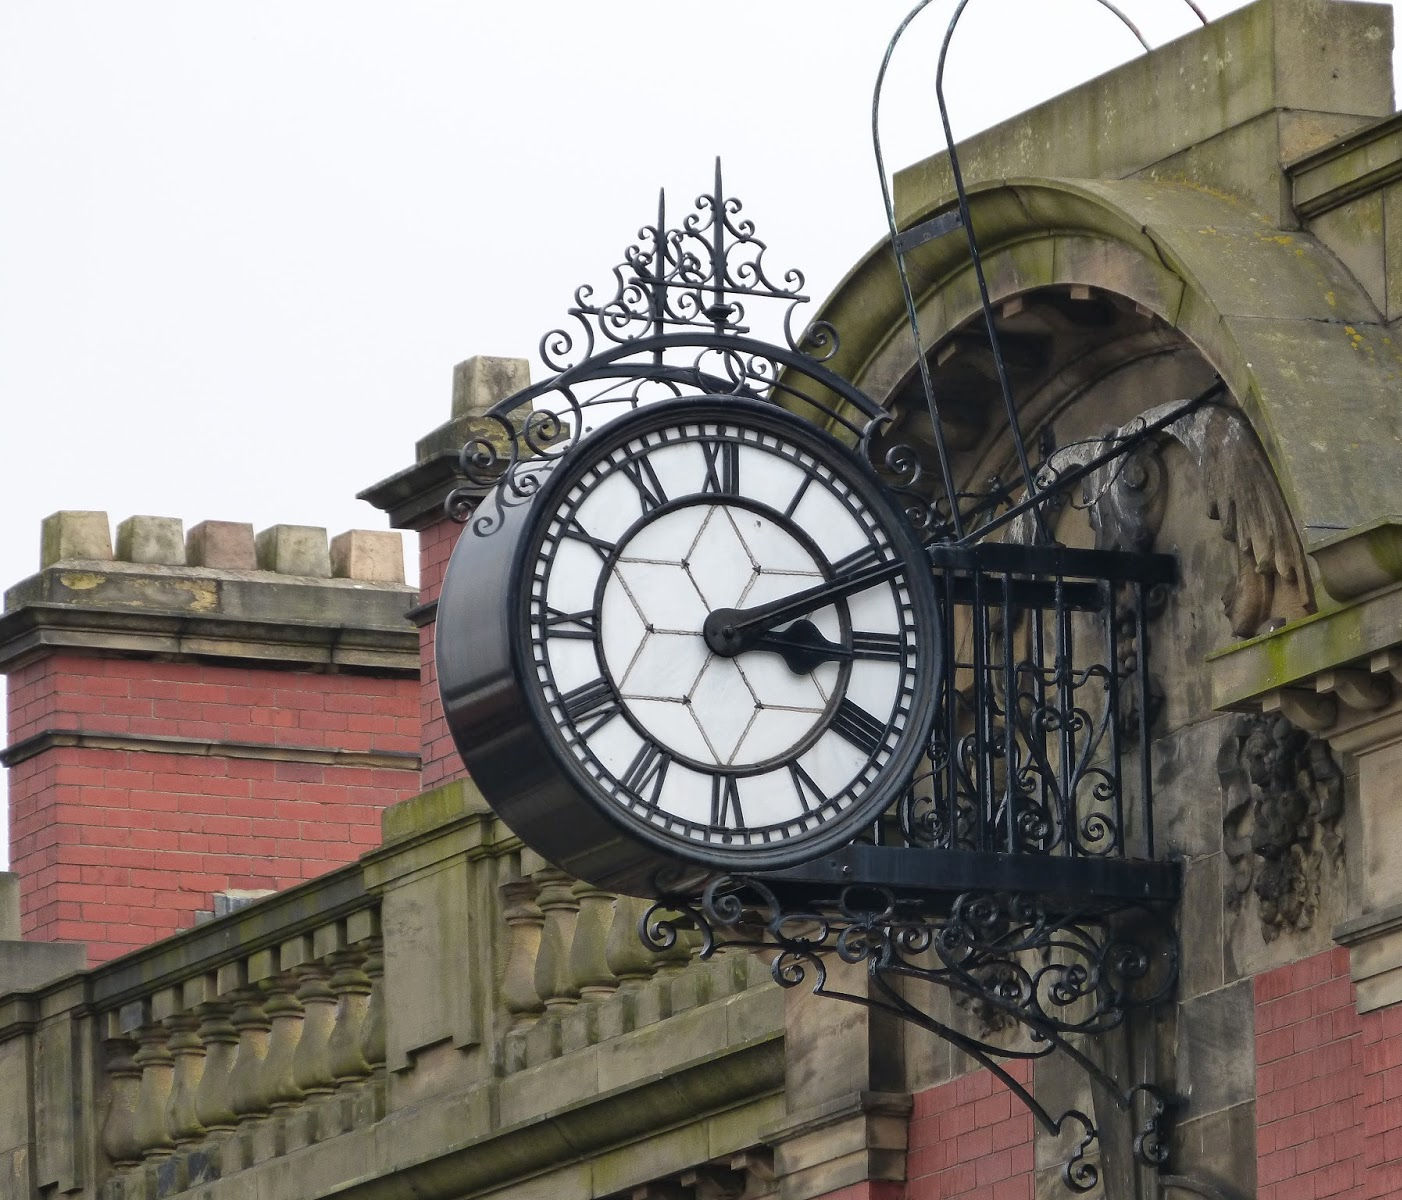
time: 3:11
